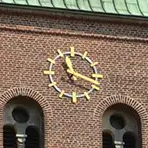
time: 11:17
